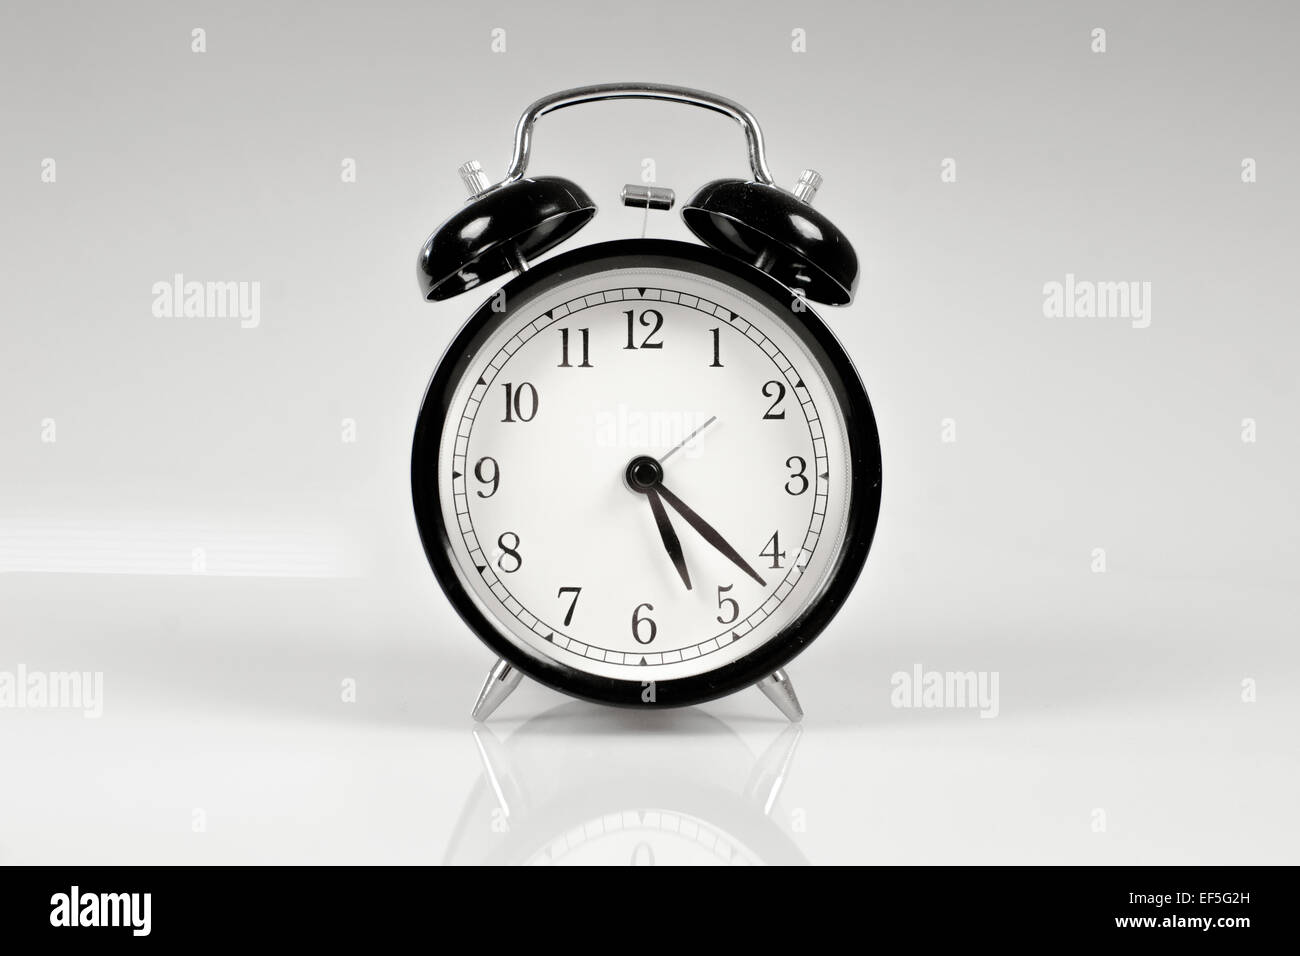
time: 5:22
